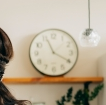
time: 11:19
